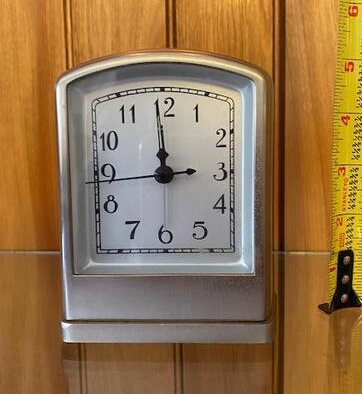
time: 2:59
